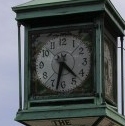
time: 4:32
